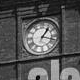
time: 1:18
